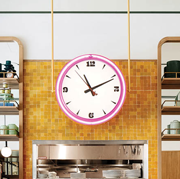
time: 11:10
